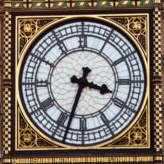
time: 3:33
